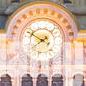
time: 1:50
